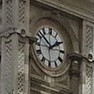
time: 1:51
